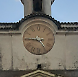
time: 4:45
